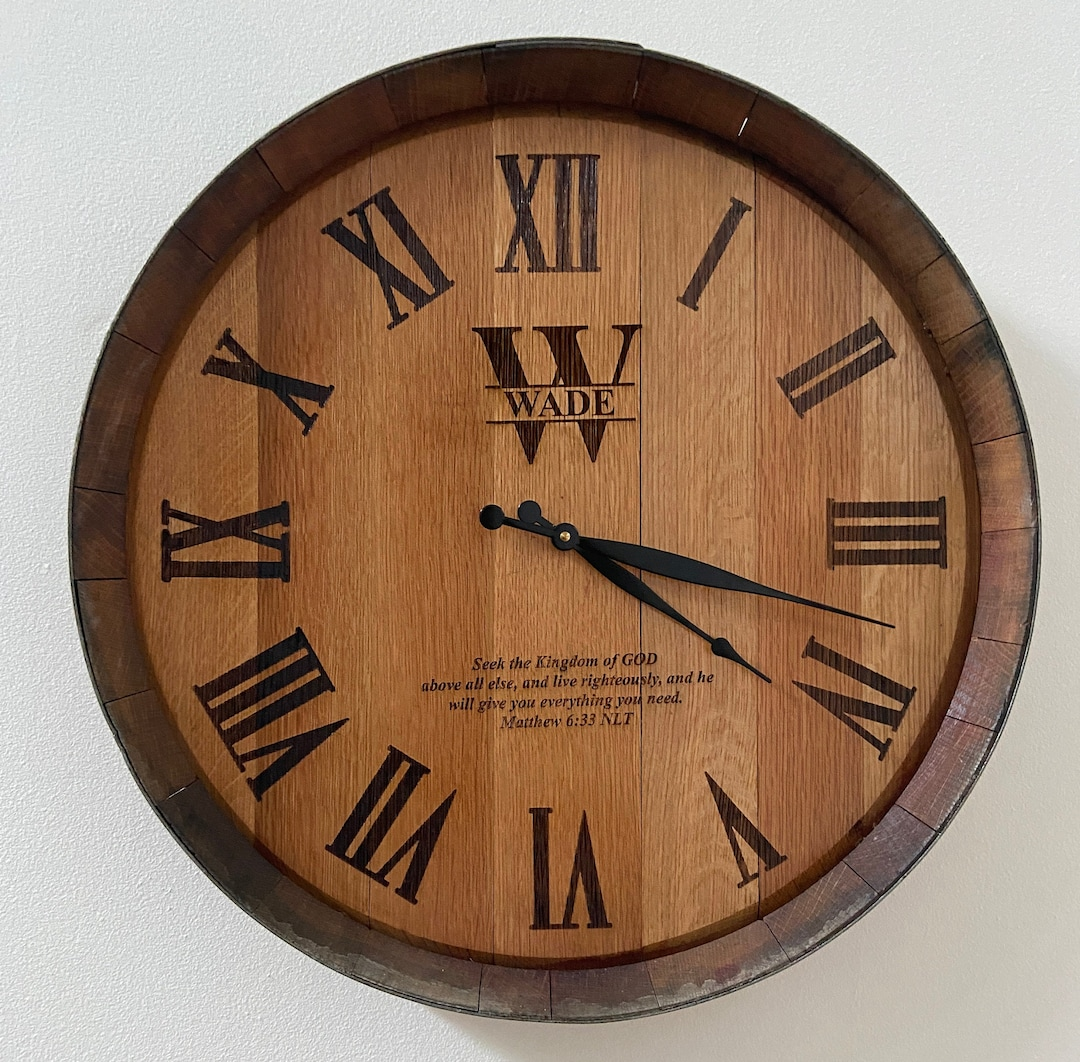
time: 4:17
